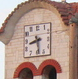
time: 8:28
